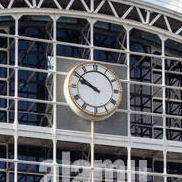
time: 9:50
